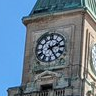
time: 2:24
